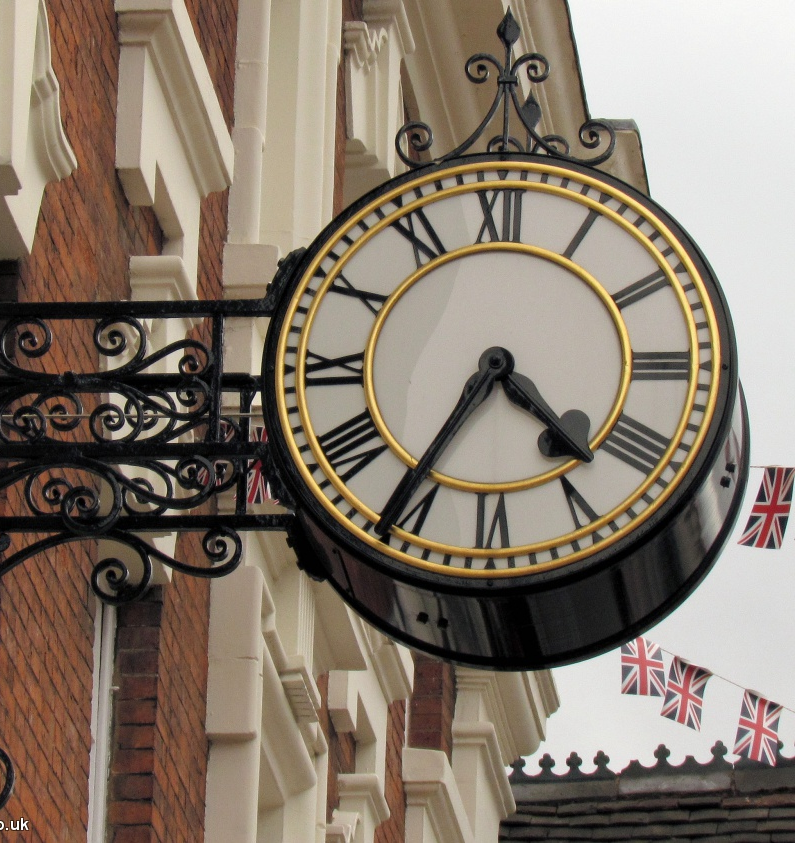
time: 4:35
